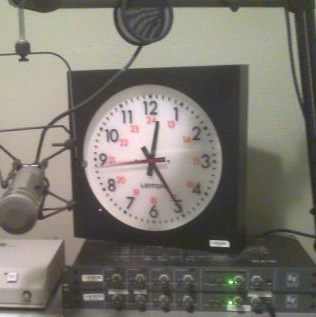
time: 12:24
